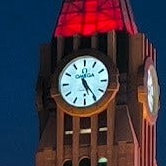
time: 5:24
